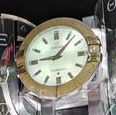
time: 9:07
